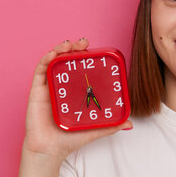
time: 6:26
